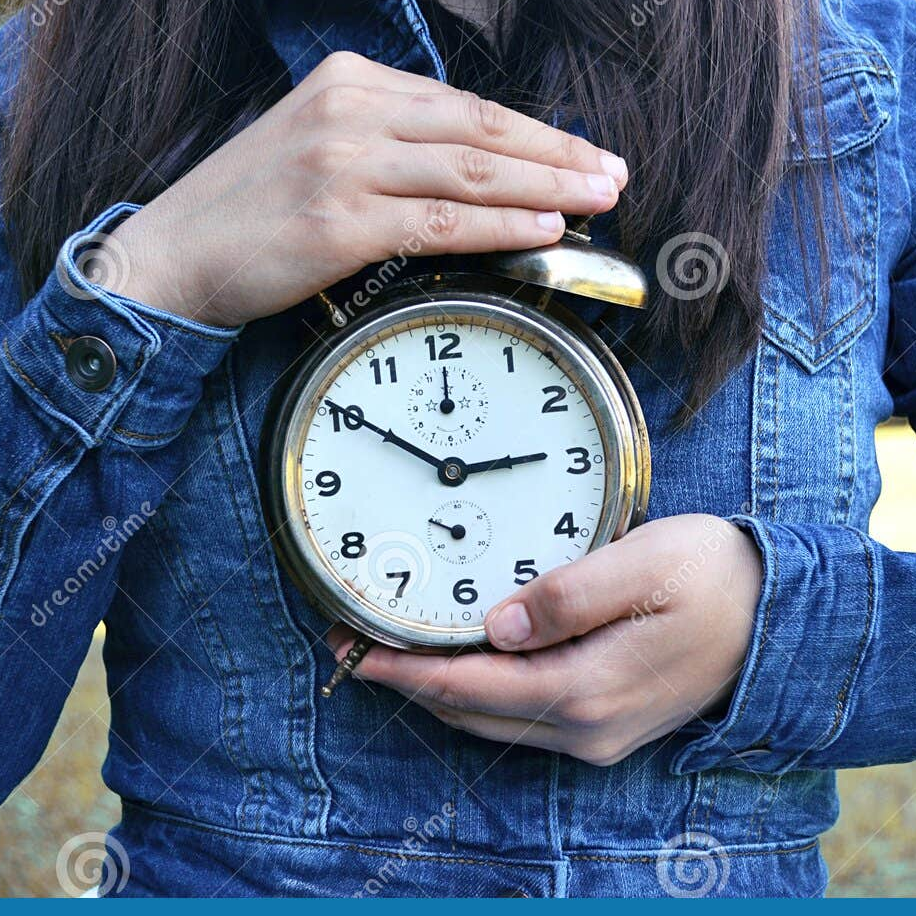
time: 2:50
